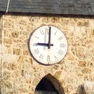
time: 9:00
